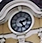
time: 5:12
